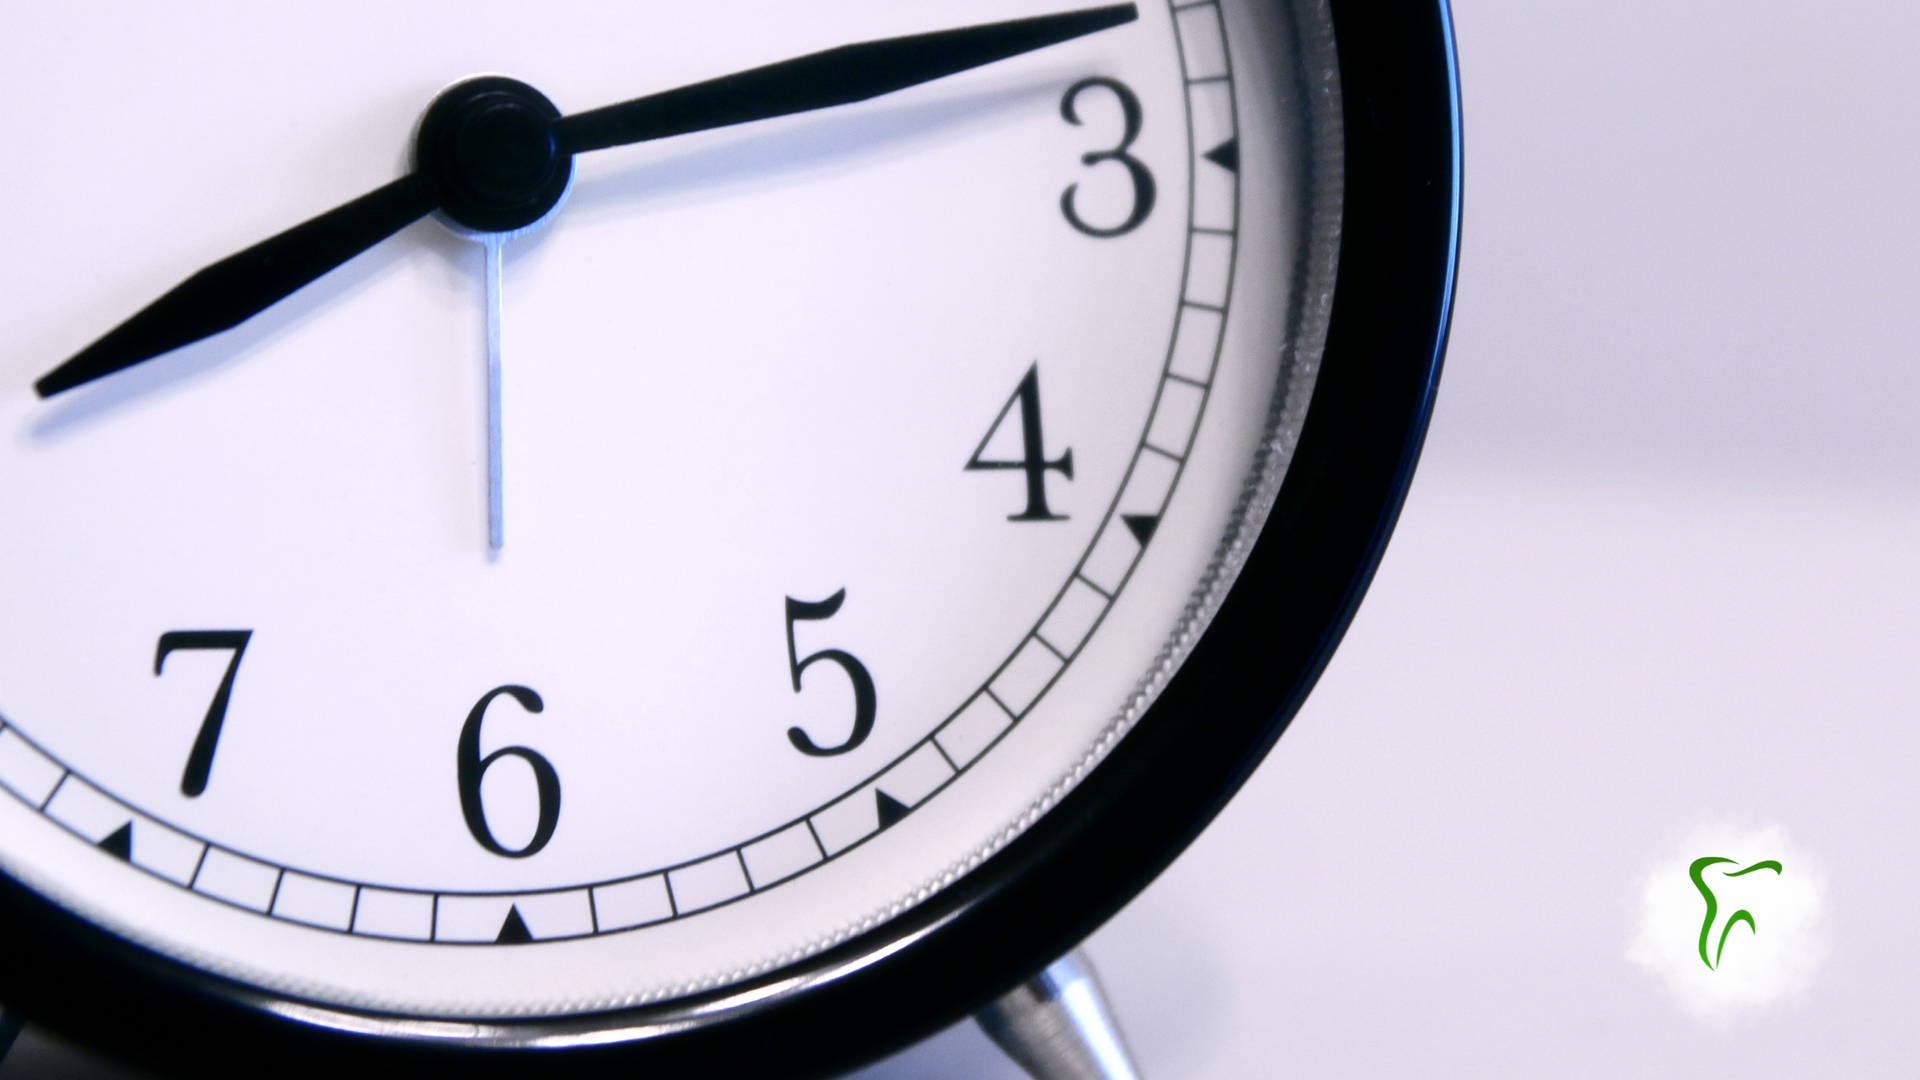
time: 8:12
